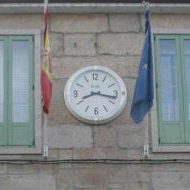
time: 8:16
